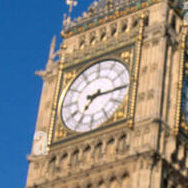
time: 7:15
